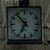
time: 6:53
